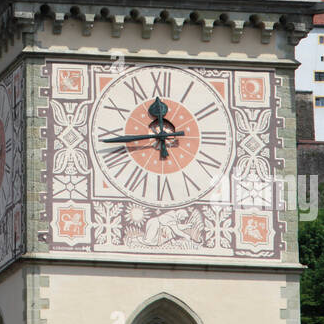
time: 11:43
